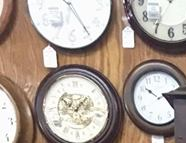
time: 10:24
